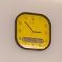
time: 2:53
